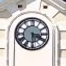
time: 3:29
